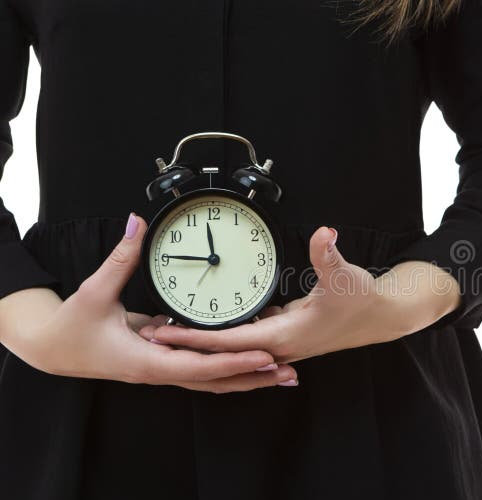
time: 11:45
